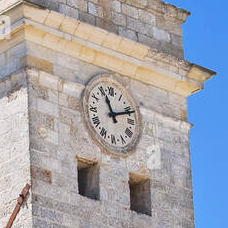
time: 11:11
